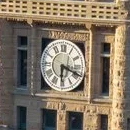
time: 6:18
